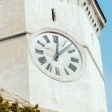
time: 12:07
